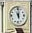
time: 5:59
